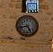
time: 8:24
